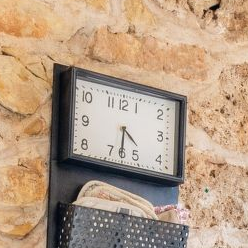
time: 4:31
